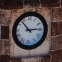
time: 2:52
